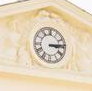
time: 3:14
